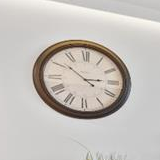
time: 2:51
